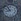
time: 8:54
